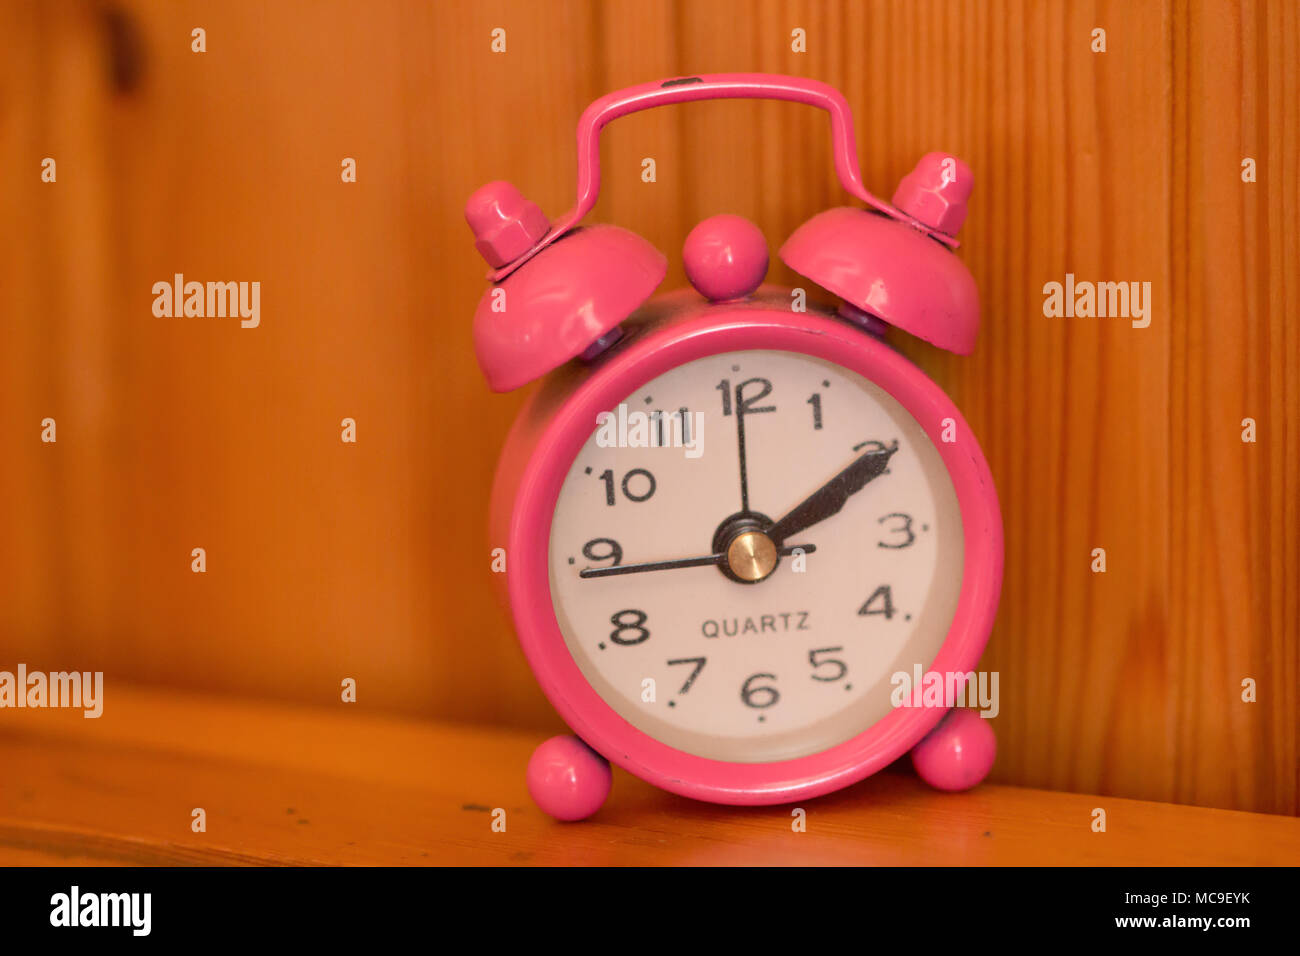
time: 2:09
